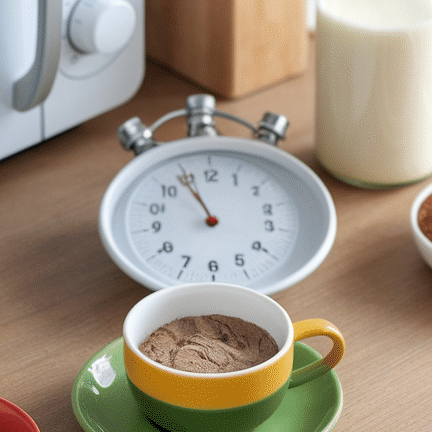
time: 8:54
